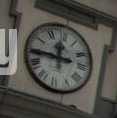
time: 11:44
